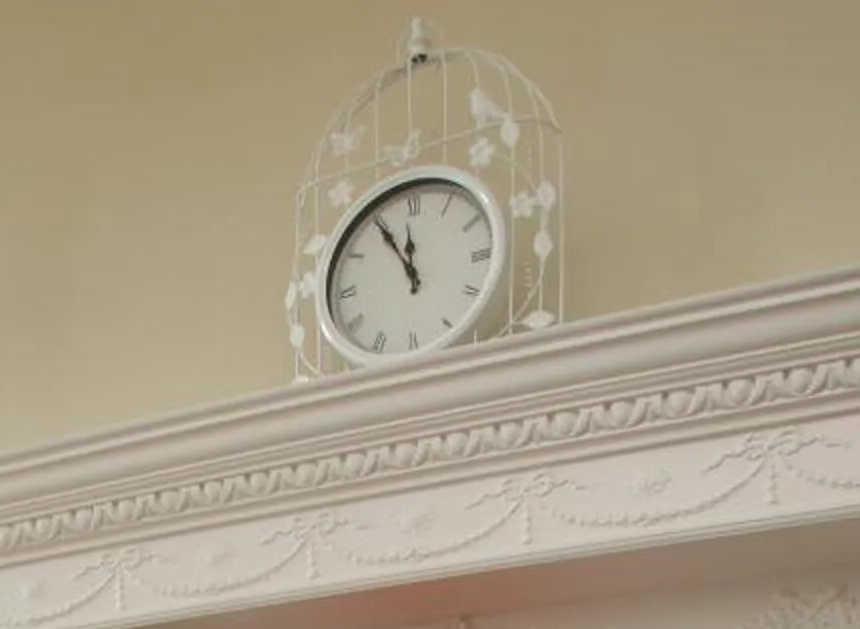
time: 11:55
